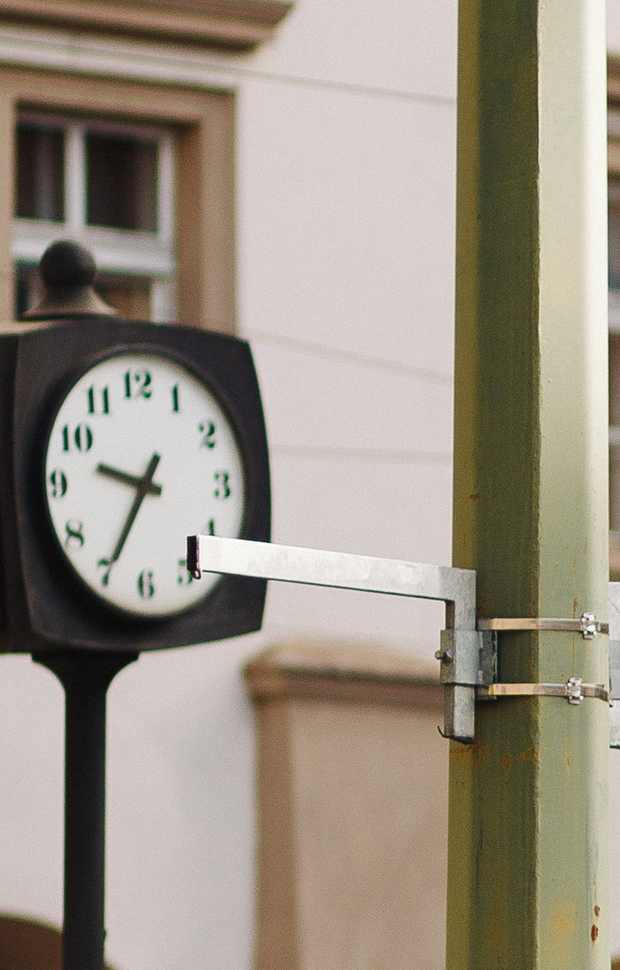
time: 9:34
